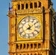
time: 8:09
